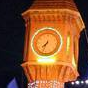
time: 7:33
